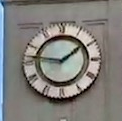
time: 1:46
